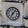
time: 7:07
